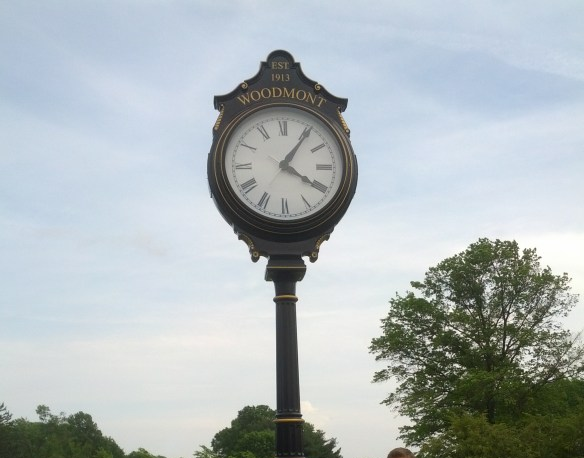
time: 4:06
